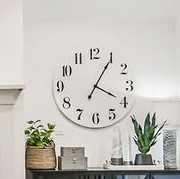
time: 4:05
